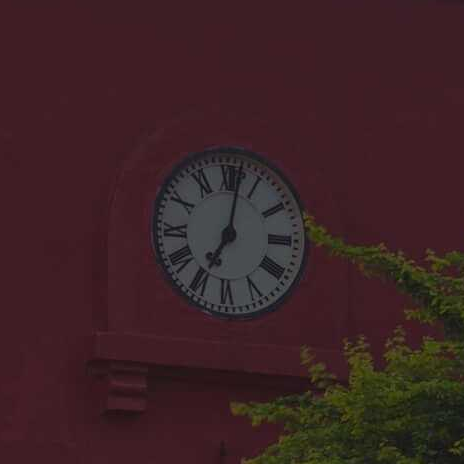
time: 7:01
